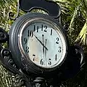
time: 5:51
